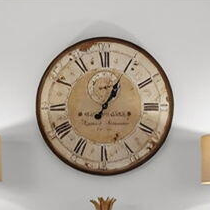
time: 1:04
